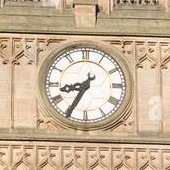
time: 8:34
